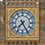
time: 7:25
